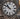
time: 10:51
